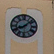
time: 8:07
